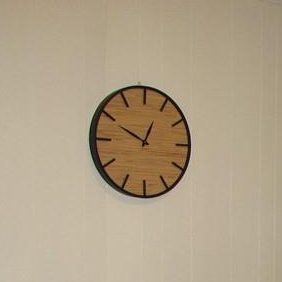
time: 12:49
